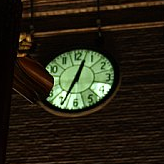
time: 12:34
